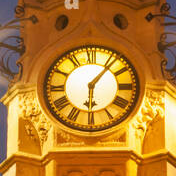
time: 6:06
